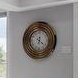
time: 6:21
